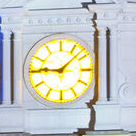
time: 9:07
